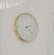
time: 2:21
